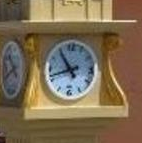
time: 10:42
